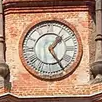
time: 1:24
